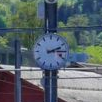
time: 2:15
